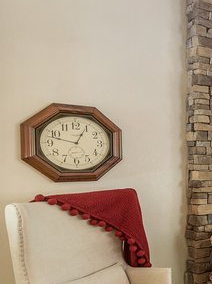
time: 12:47
